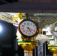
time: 5:18
